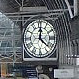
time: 12:21
